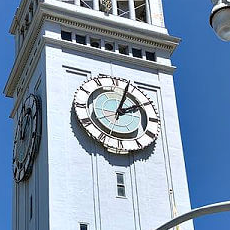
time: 2:03
